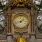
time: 1:42
